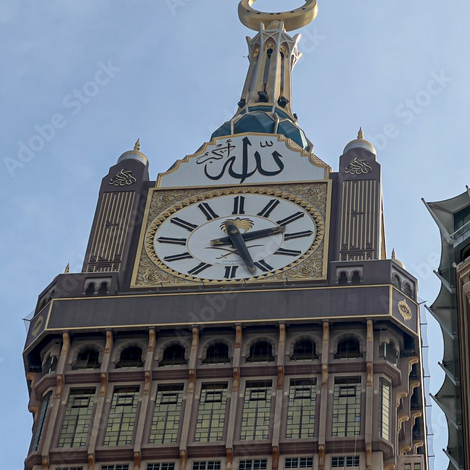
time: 2:26
